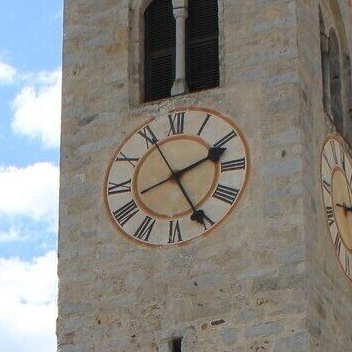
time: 2:25
